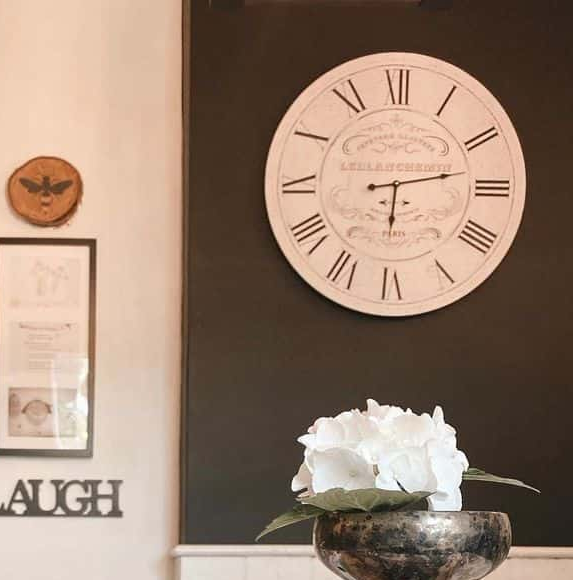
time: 6:13
